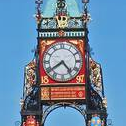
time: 4:39
